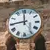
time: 11:44
